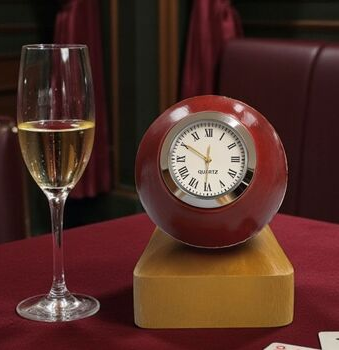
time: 11:50
